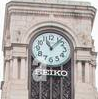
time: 11:07
